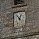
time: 12:52
